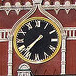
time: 7:37
